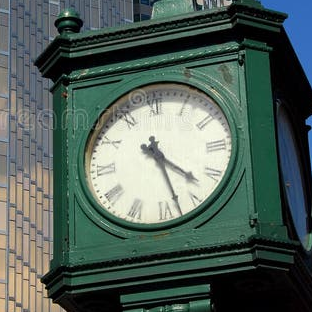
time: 4:27
